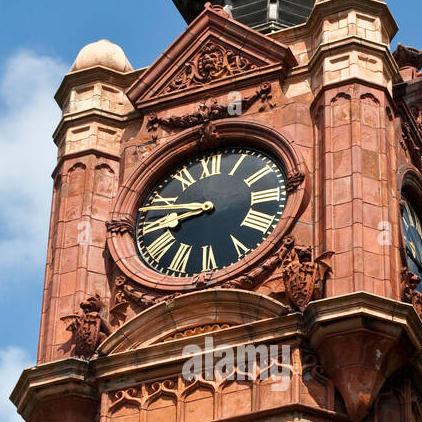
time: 8:48
